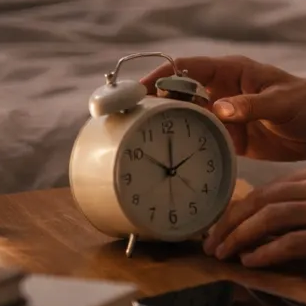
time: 10:01
